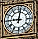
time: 9:01
